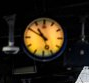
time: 10:50
